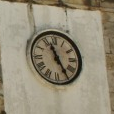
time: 11:25
